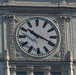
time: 10:19
